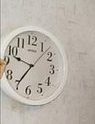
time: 9:35
